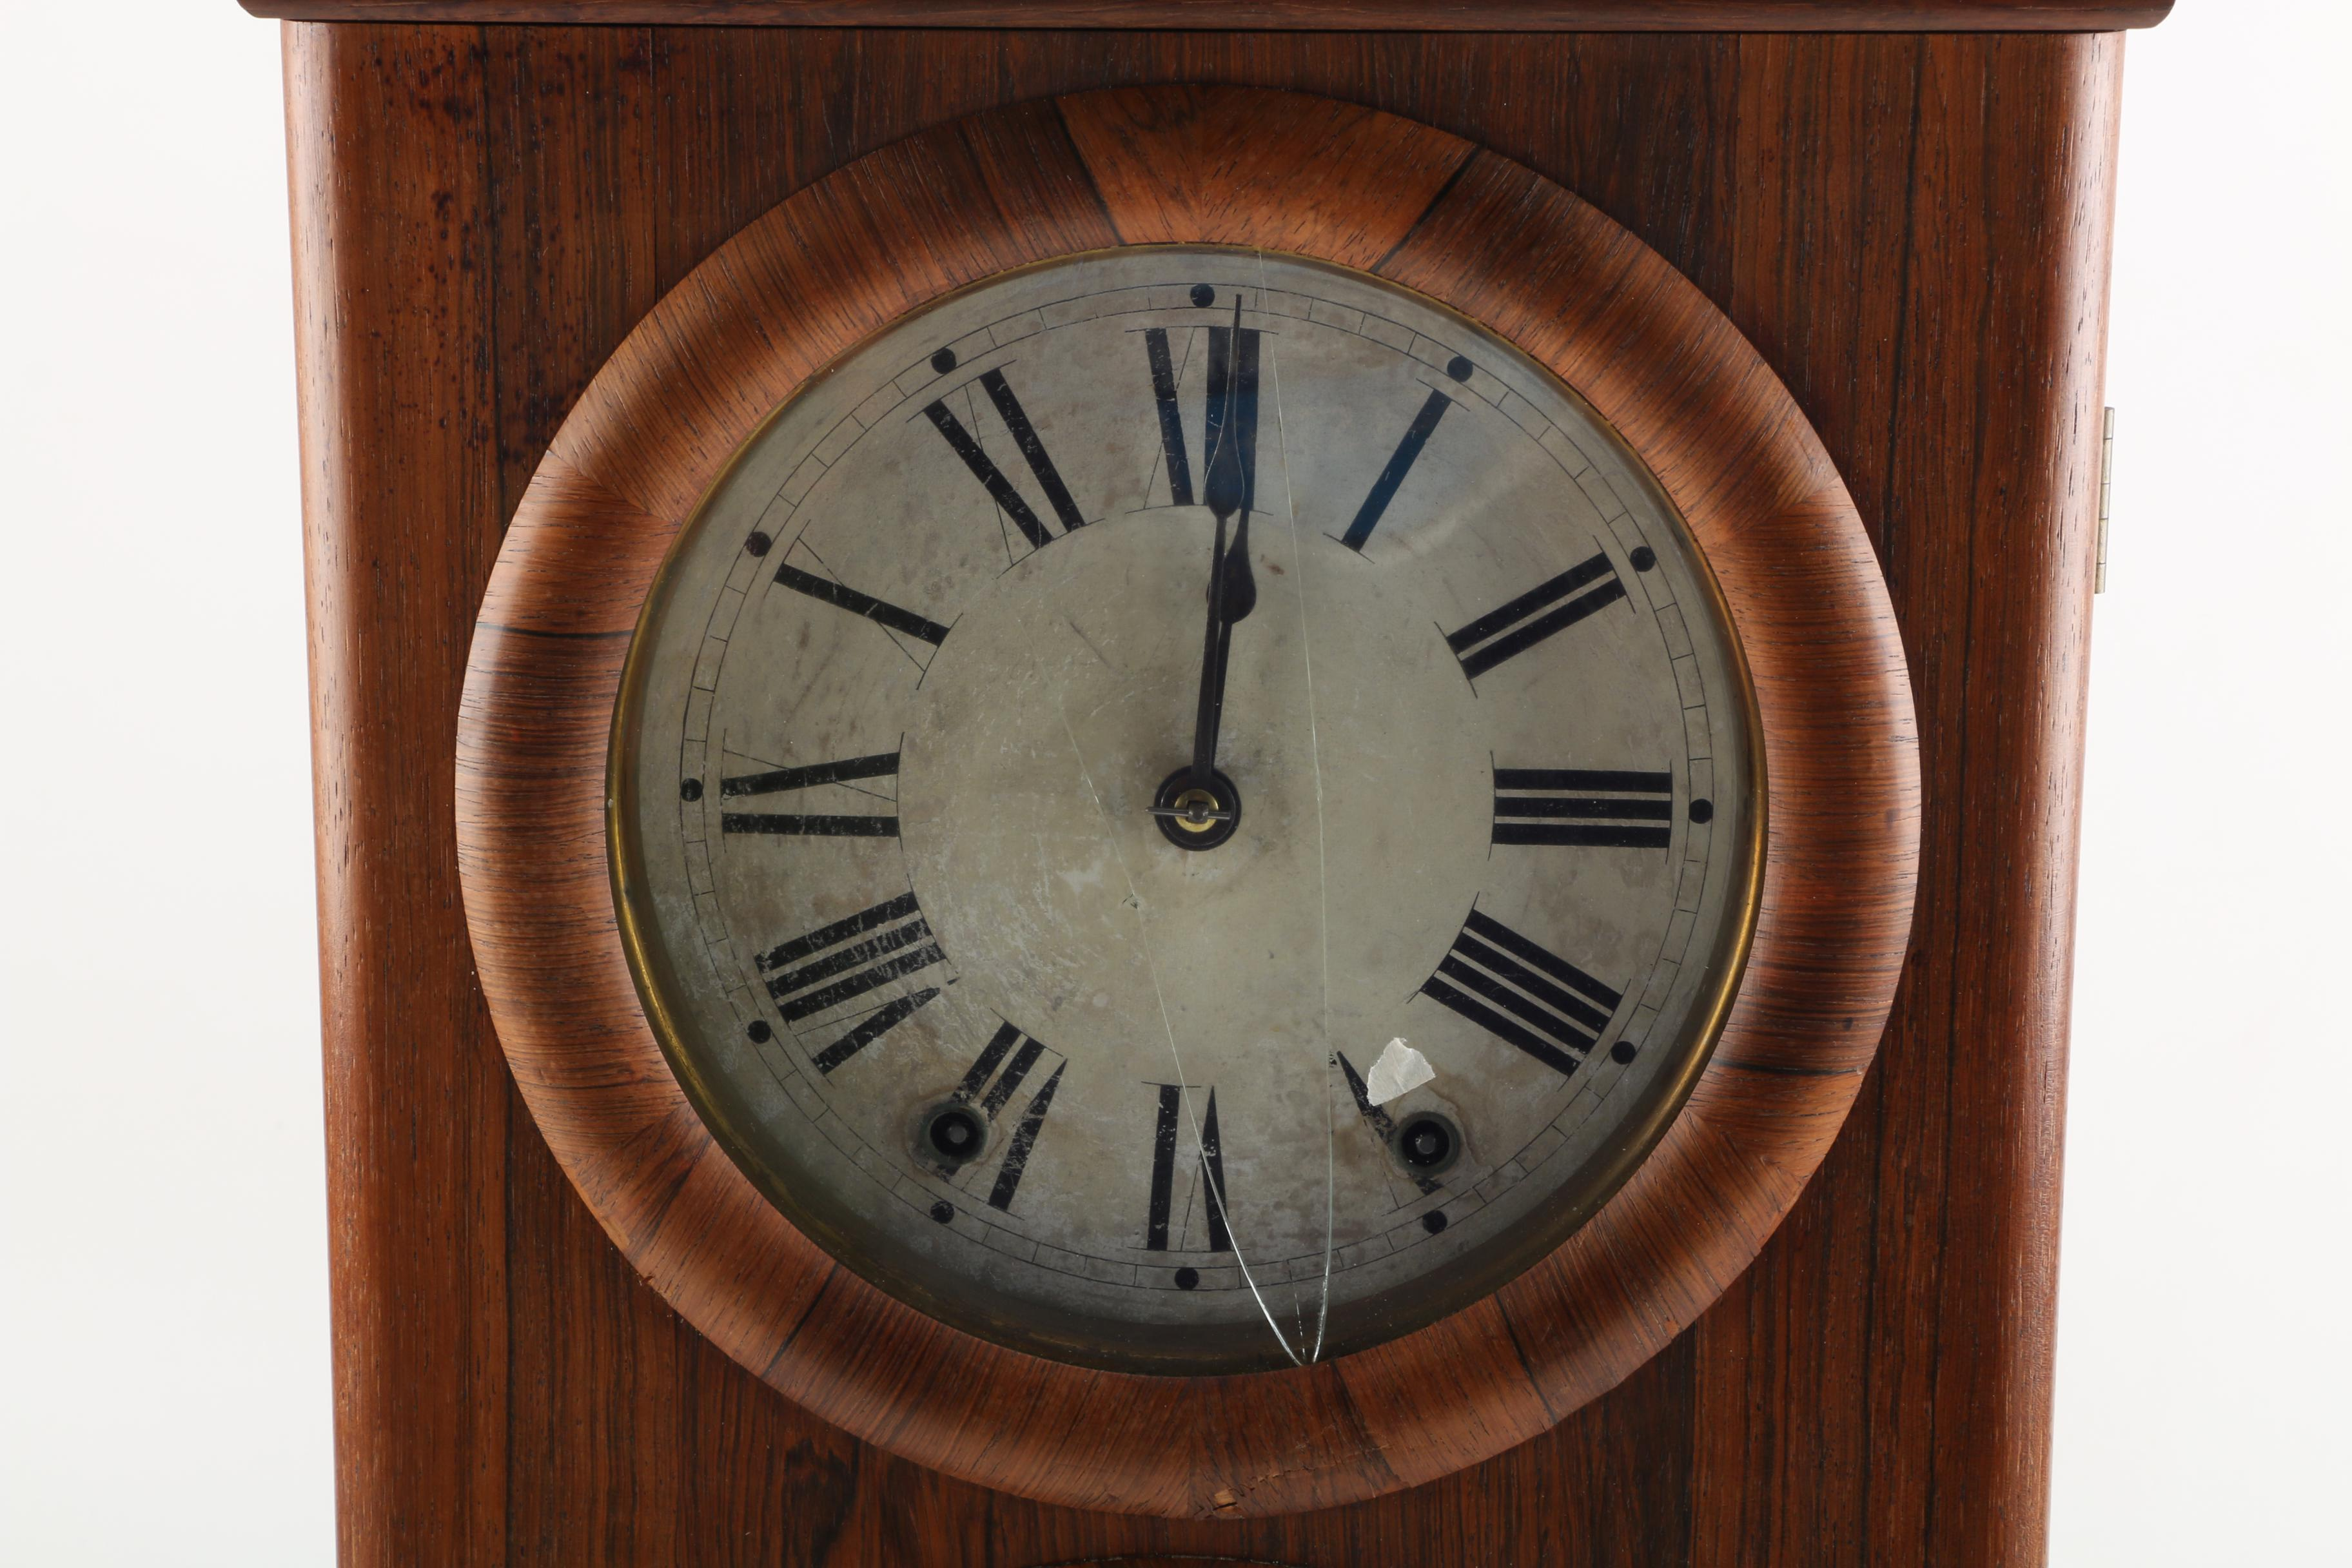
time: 12:00
